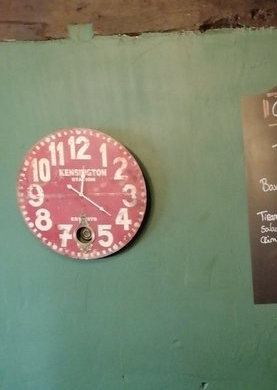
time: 12:20
